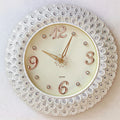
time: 10:04
